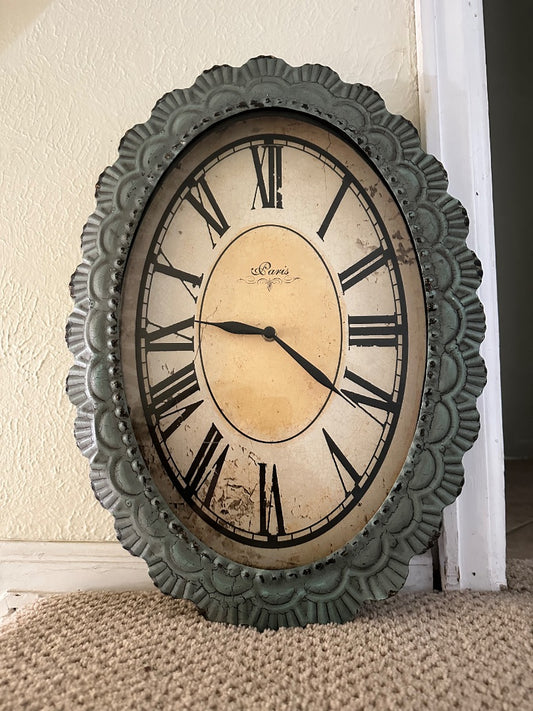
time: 9:20
